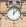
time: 12:07
